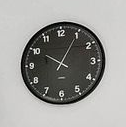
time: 10:04
